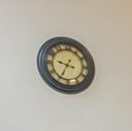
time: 9:34
